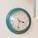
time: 3:32
